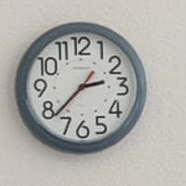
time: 2:38
